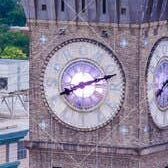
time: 8:12
